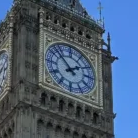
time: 1:52
